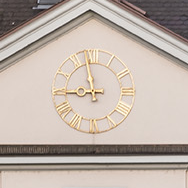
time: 8:58
